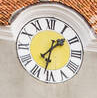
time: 1:32
